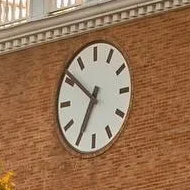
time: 6:51
